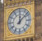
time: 12:07
